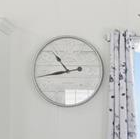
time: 10:43
